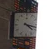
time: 4:17
